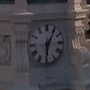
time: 6:05
